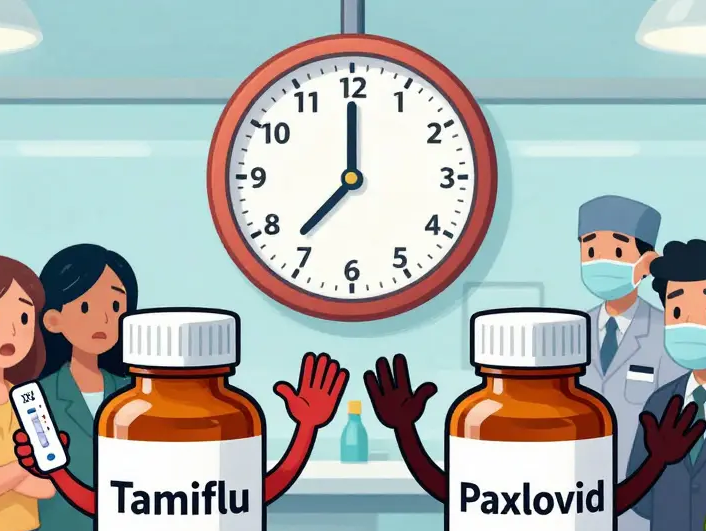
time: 11:59
